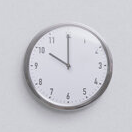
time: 9:59
